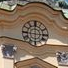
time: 5:59
